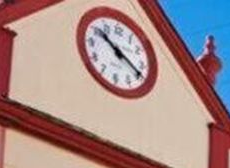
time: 10:19
